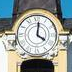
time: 4:01
